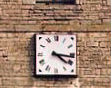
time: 4:16
